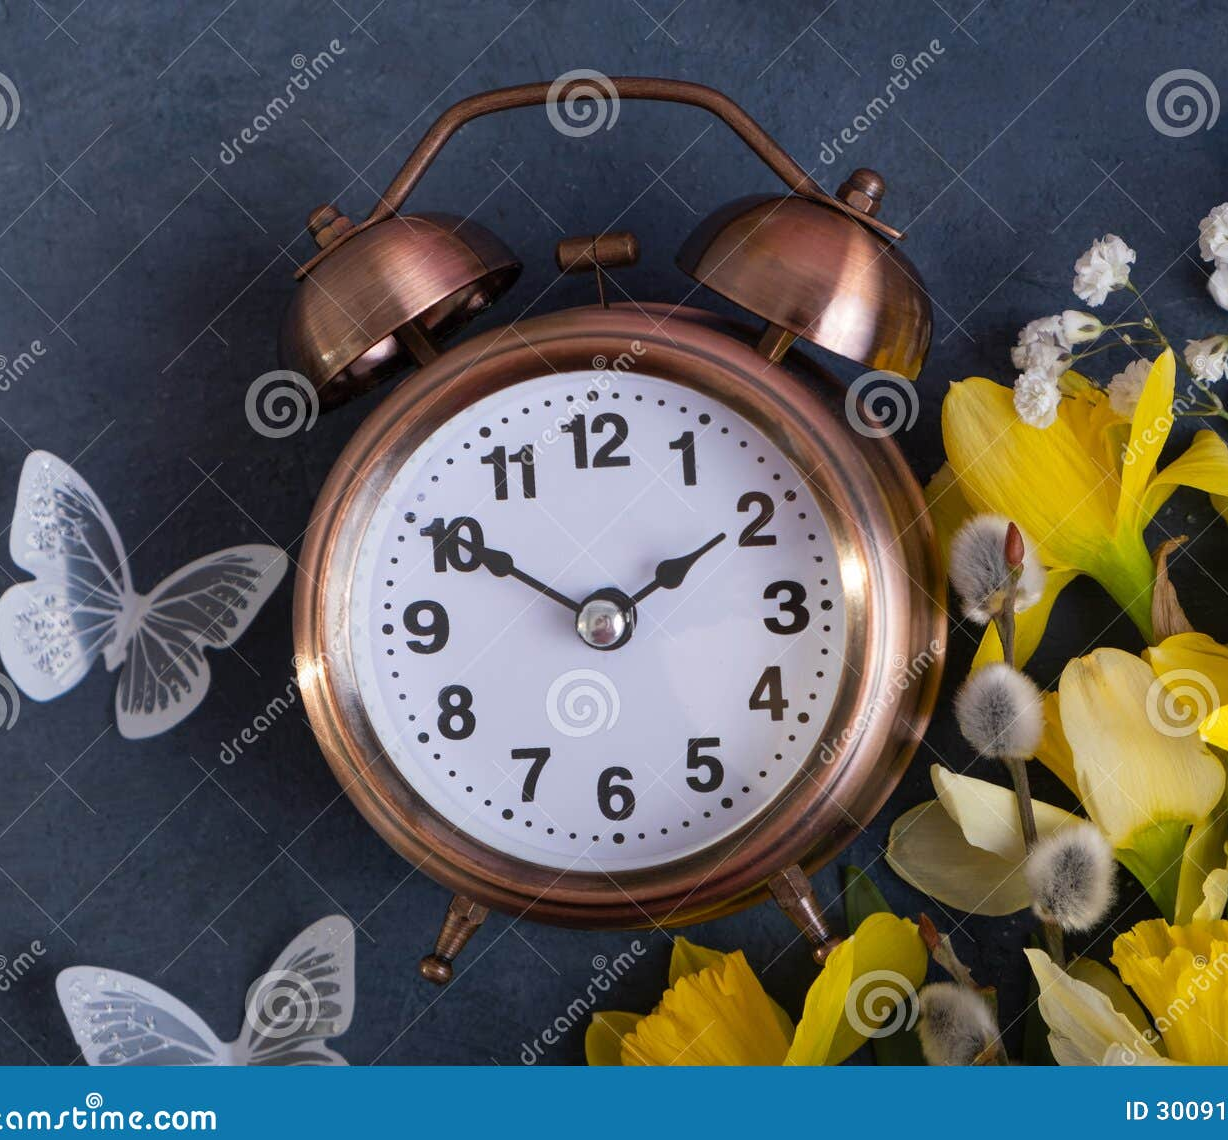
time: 1:50
